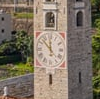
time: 11:52
